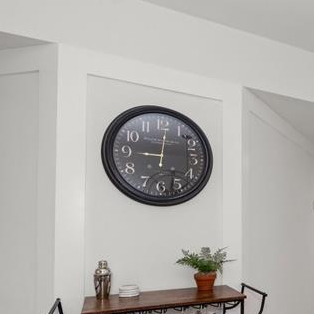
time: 9:01
